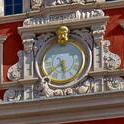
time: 5:38
